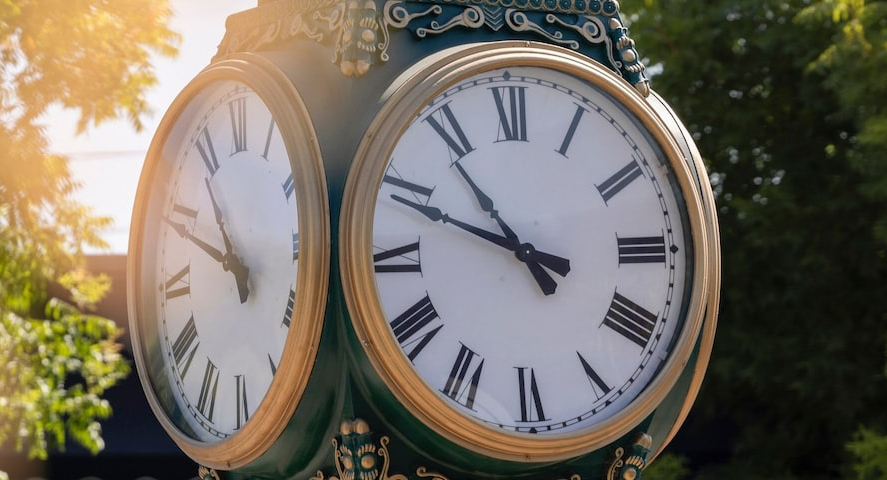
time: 10:48
